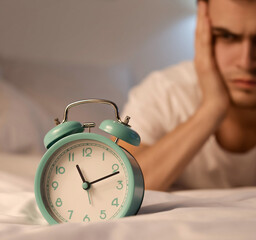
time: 11:11
